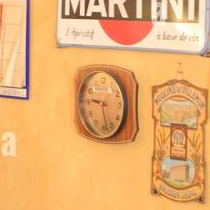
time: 9:27
